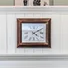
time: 4:09
